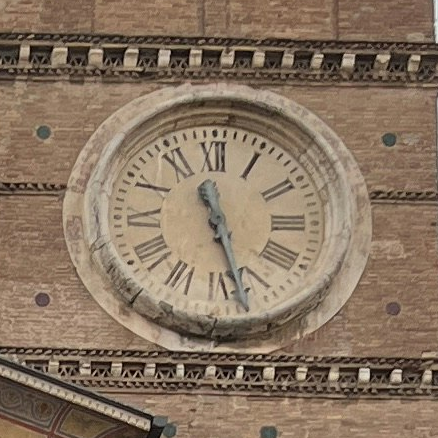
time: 11:27
